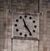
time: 11:24
